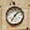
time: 7:07
